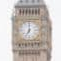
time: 7:00
